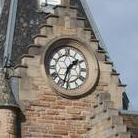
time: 1:33
